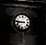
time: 8:46
